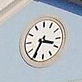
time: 3:35
